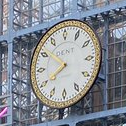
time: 7:51
